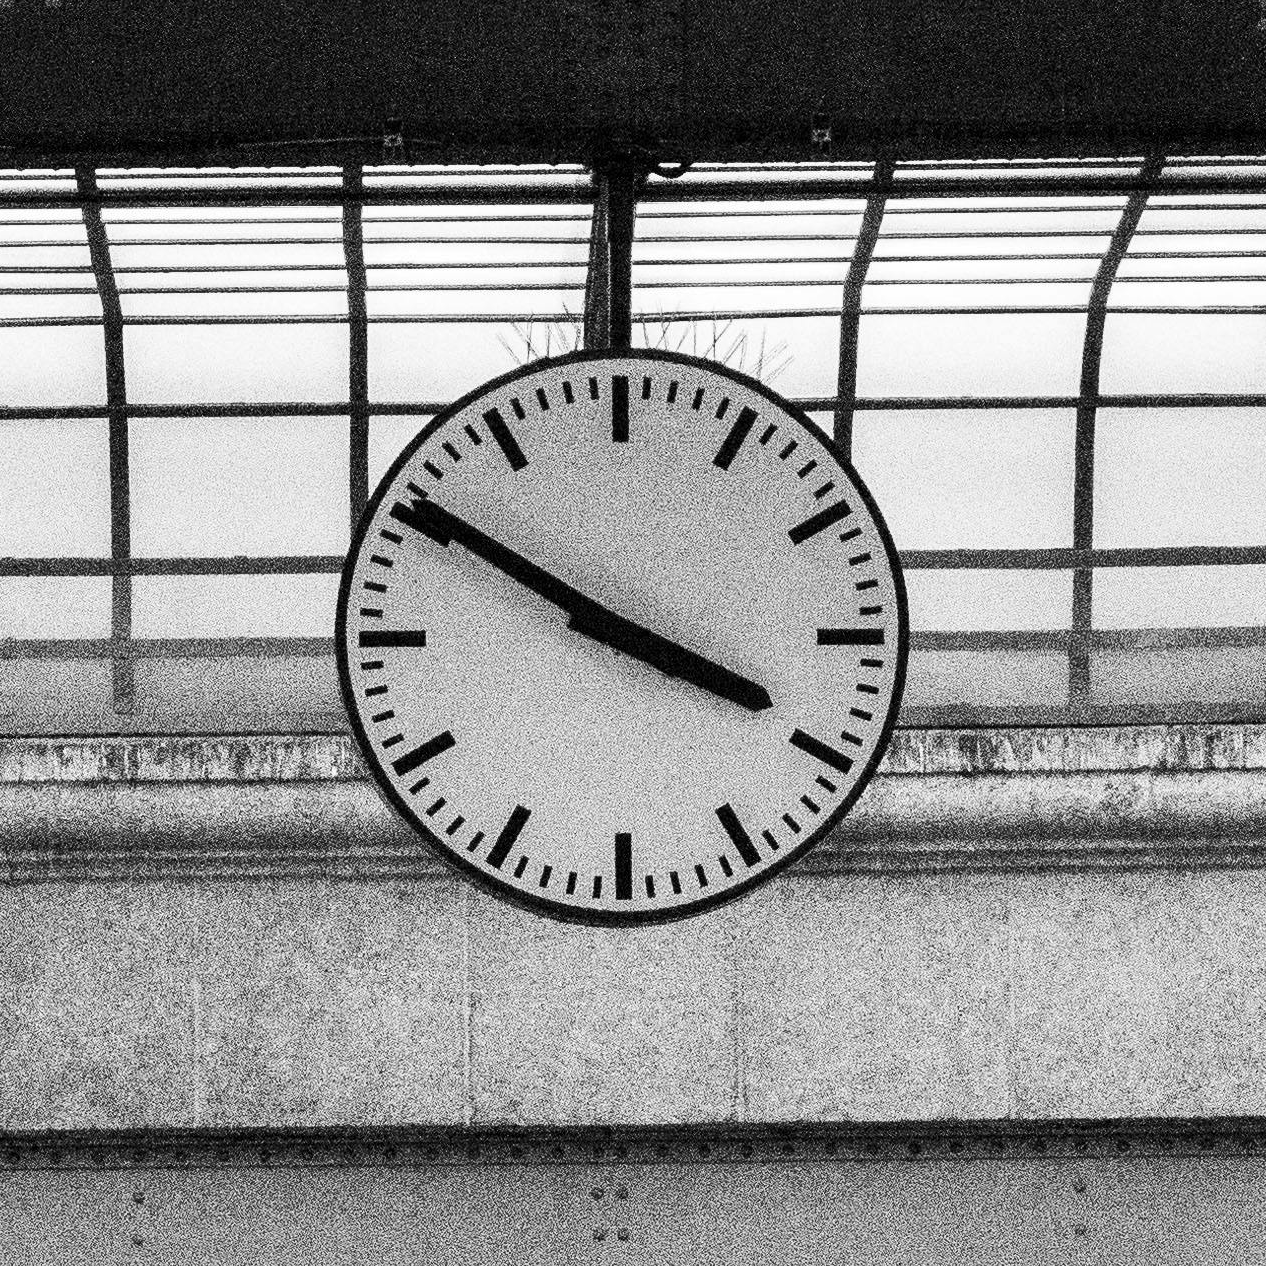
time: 3:50
